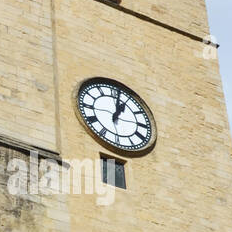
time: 1:01
